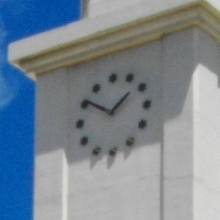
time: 1:50
